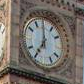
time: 6:59
